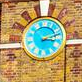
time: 3:12
